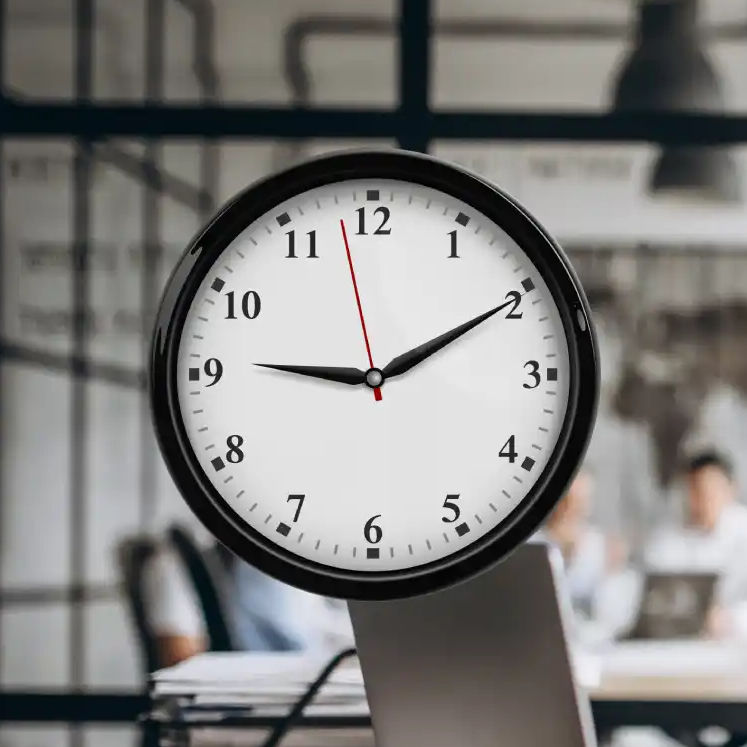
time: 9:10
